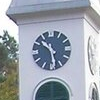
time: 10:28
